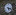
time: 5:18
